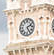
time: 2:24
